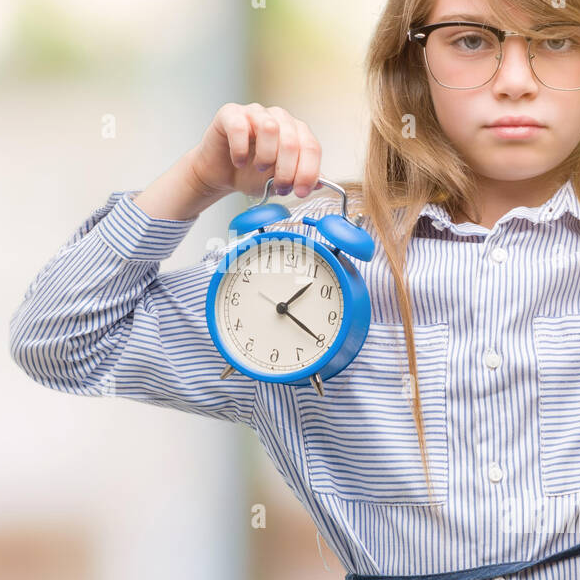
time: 1:20
